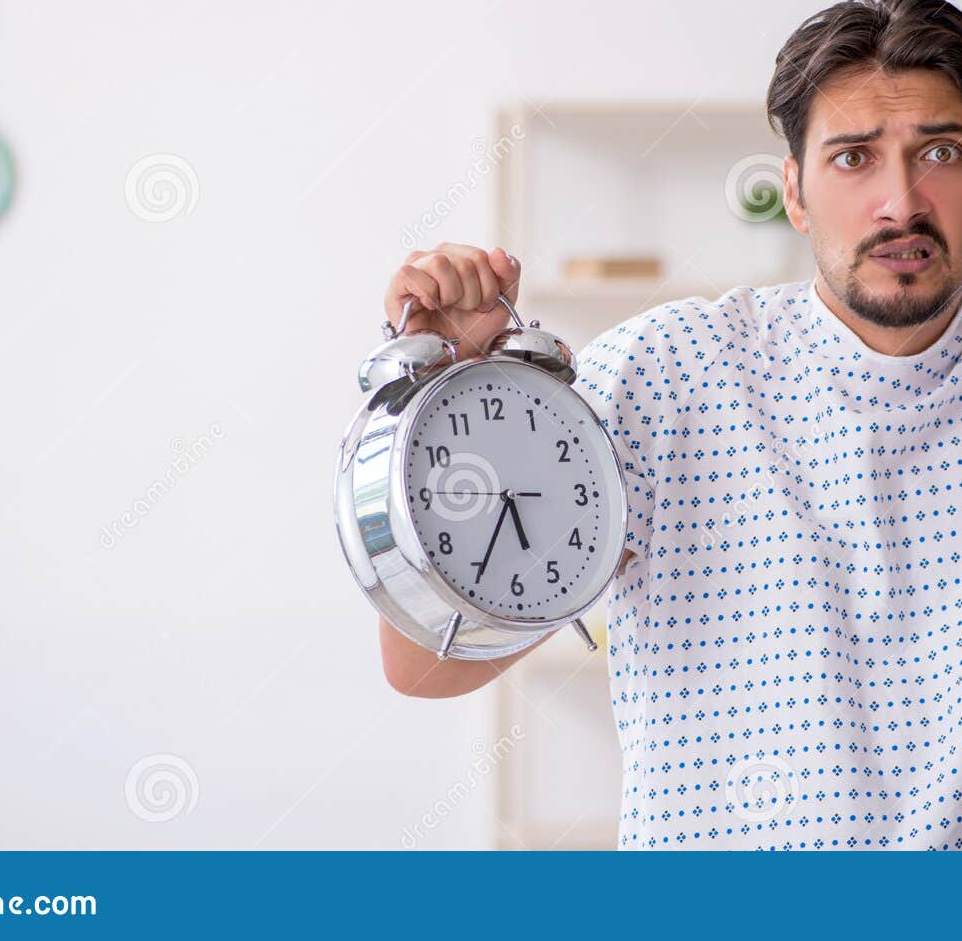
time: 5:34
